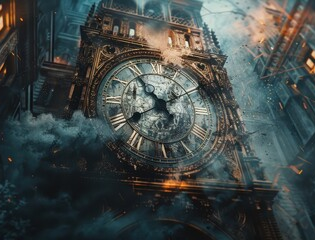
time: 7:54
